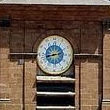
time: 8:42
